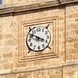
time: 3:50
